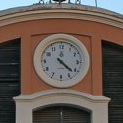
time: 4:21
